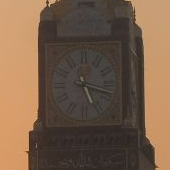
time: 5:17
